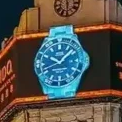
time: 10:07
